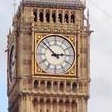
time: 2:52
